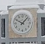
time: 10:07
